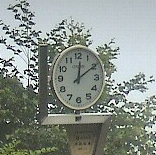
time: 12:09
